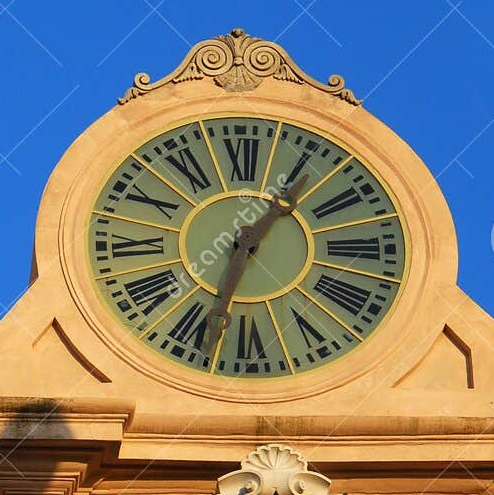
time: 1:33
